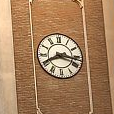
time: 8:16
